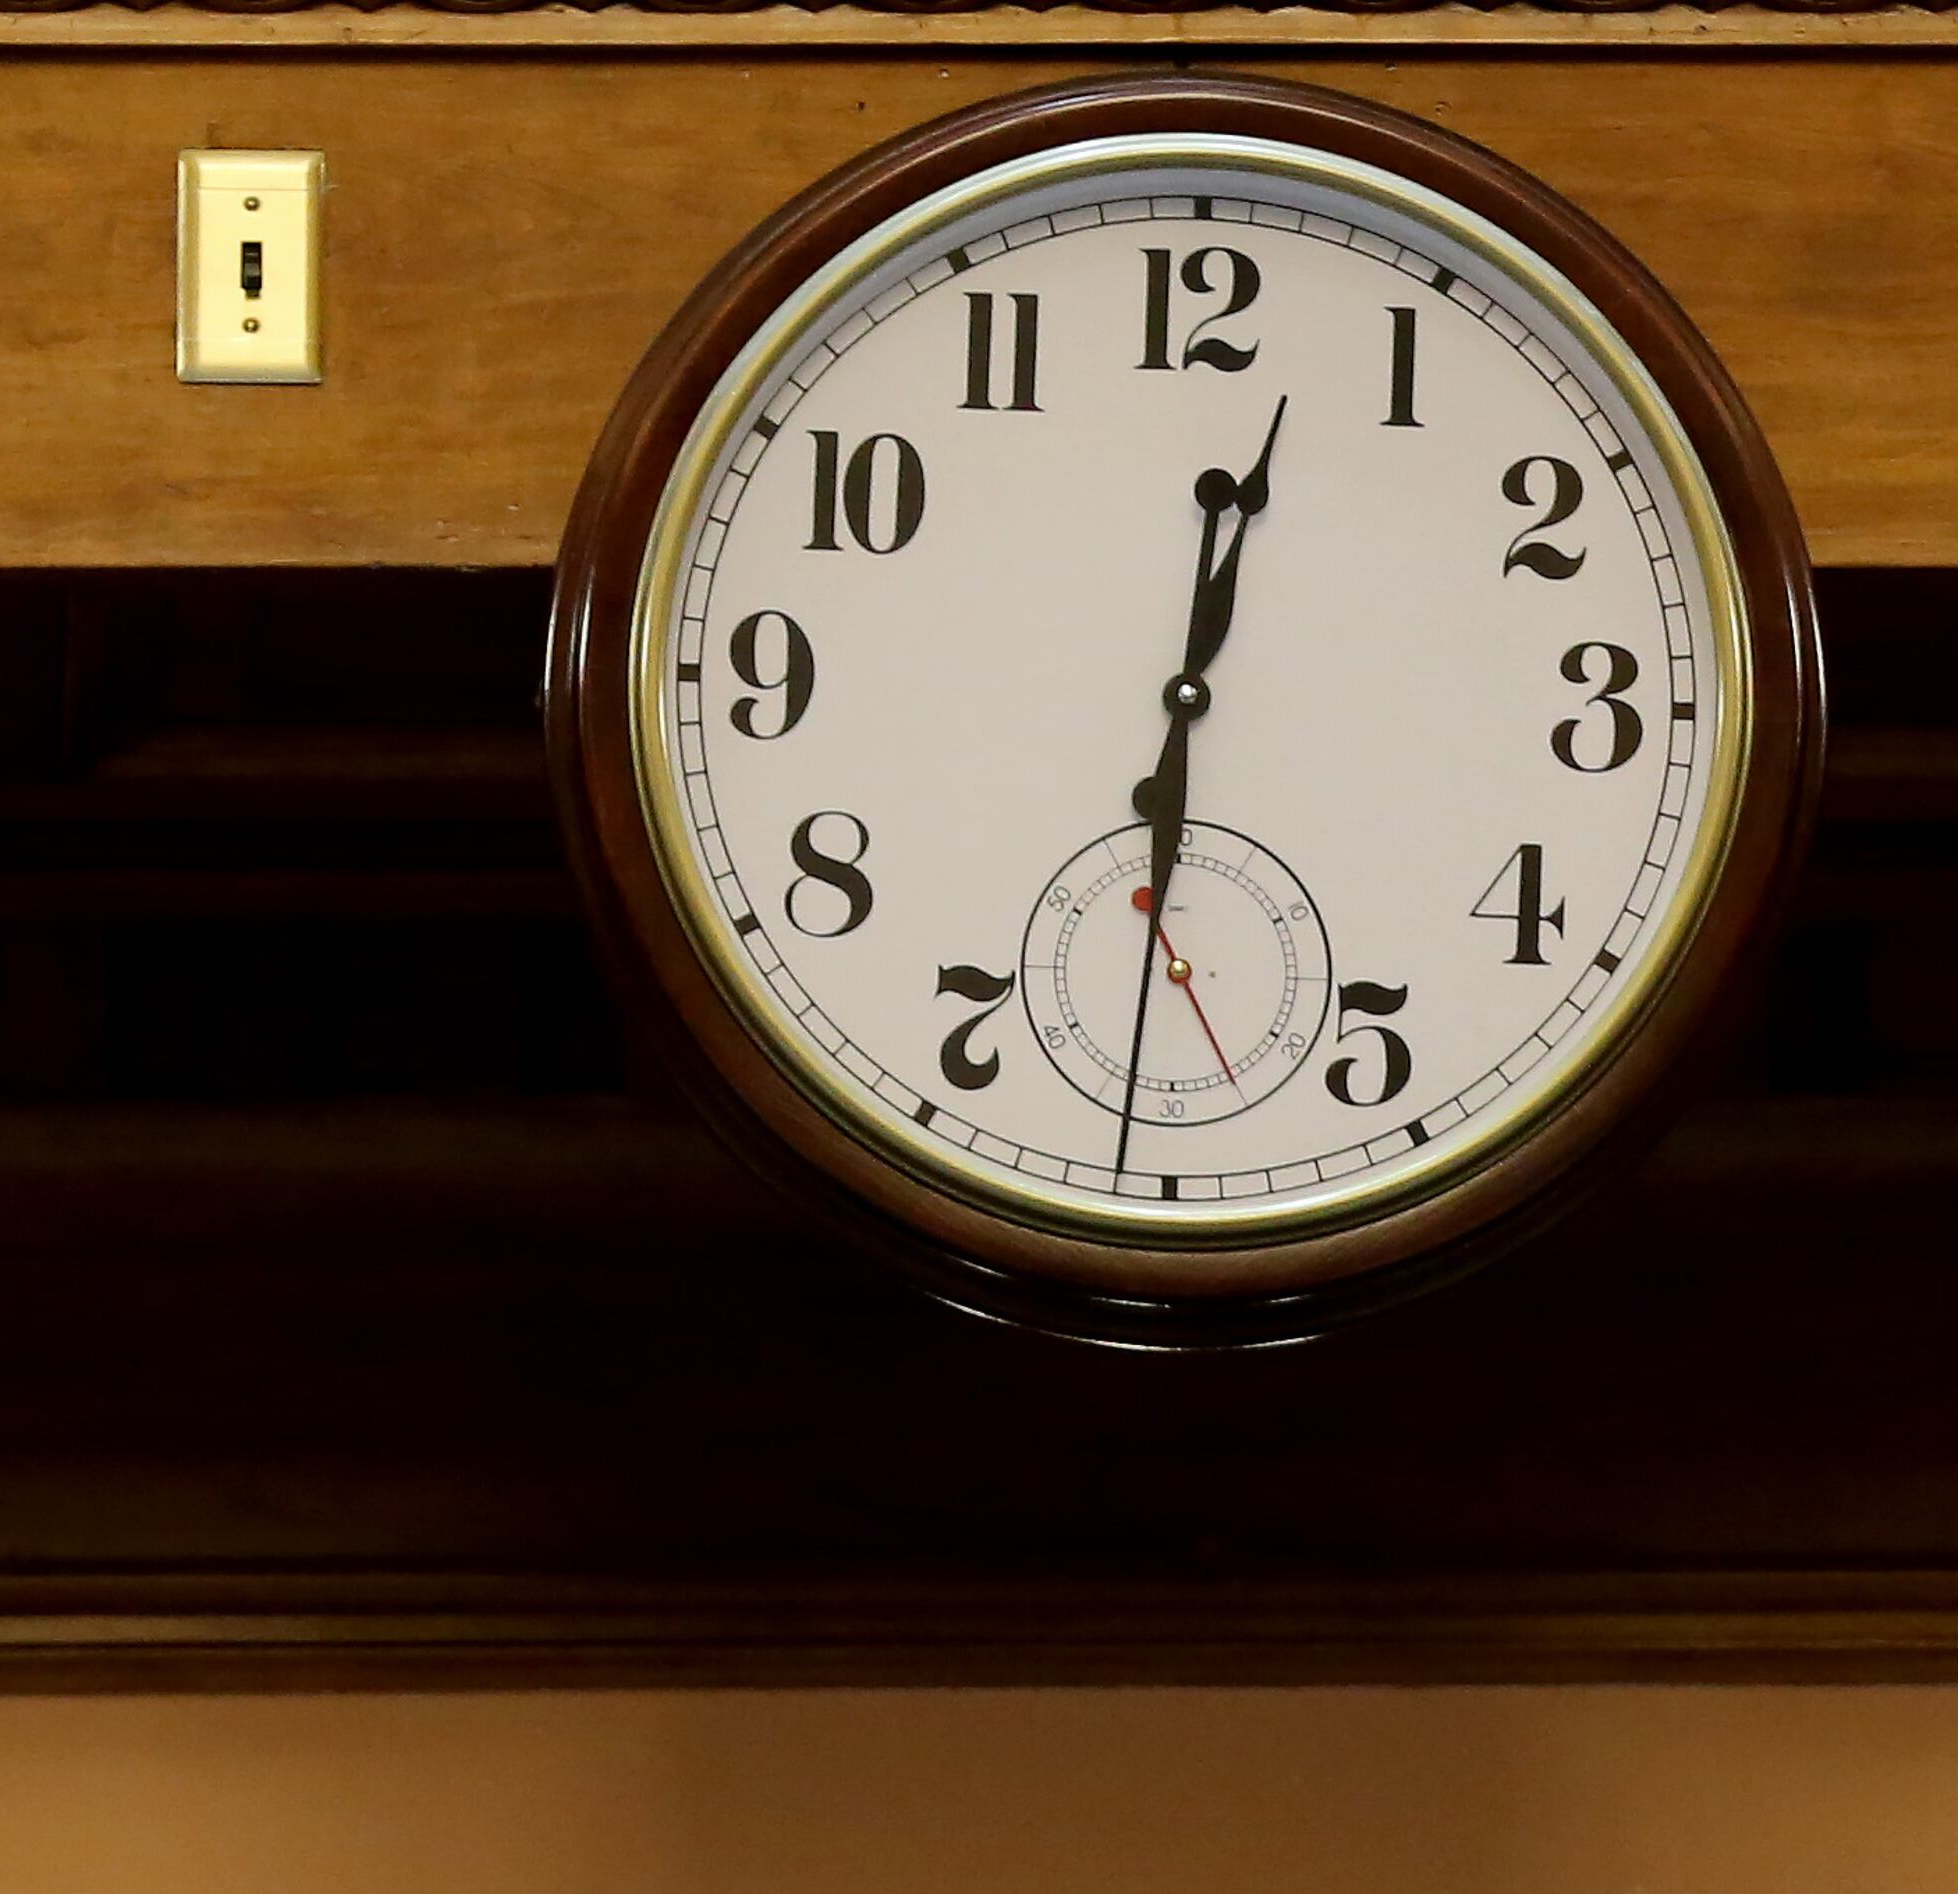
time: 12:30
